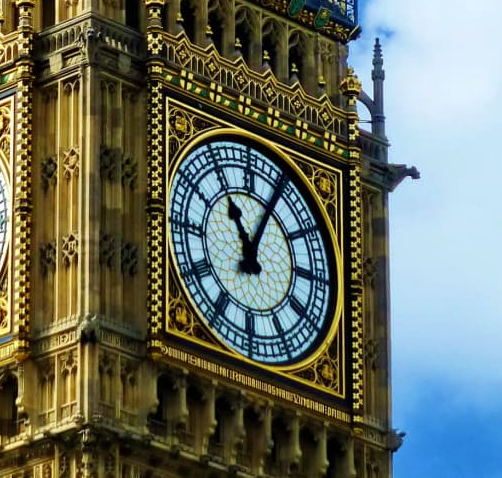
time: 11:04
